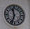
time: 11:33
